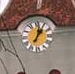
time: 1:02
